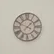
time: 1:49
